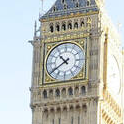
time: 10:39
